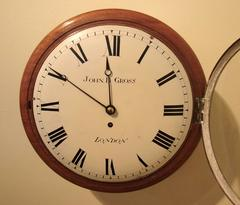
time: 11:50
